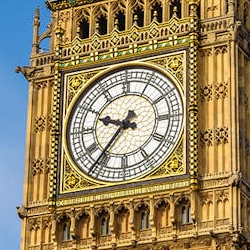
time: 9:36
